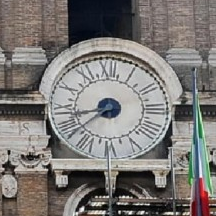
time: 8:38
